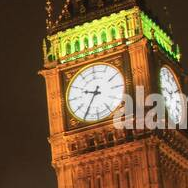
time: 9:35
